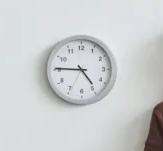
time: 4:45
